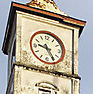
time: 9:24
